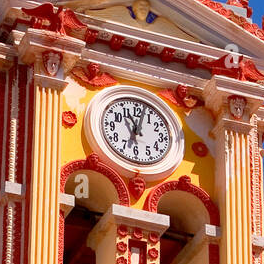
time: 11:02
